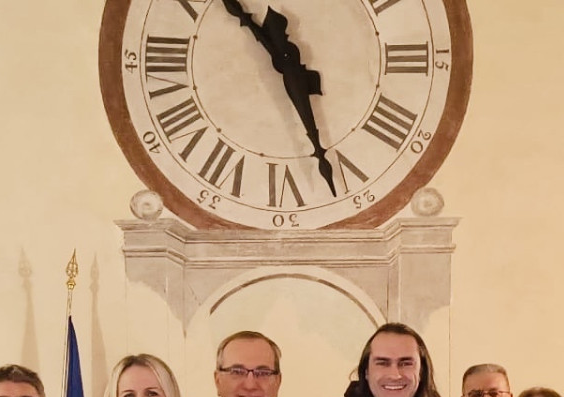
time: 10:26
